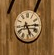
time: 5:14
